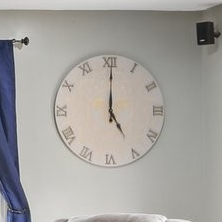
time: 5:00
